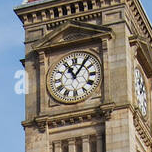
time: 11:06
